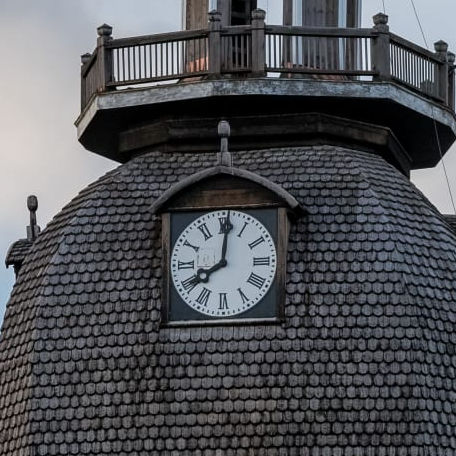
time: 8:01
